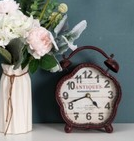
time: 4:41
